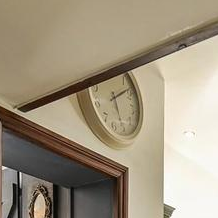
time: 5:08
